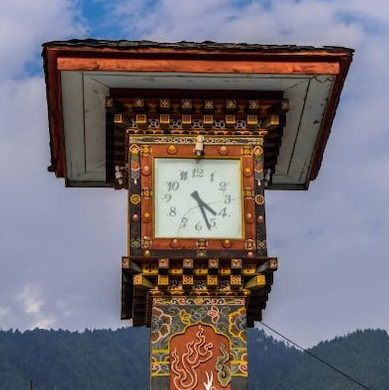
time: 4:26
